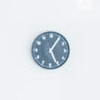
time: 5:05
